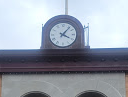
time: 4:06
